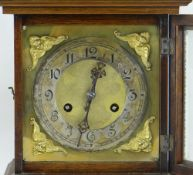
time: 12:32
